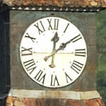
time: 12:09
